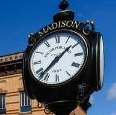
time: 1:37
